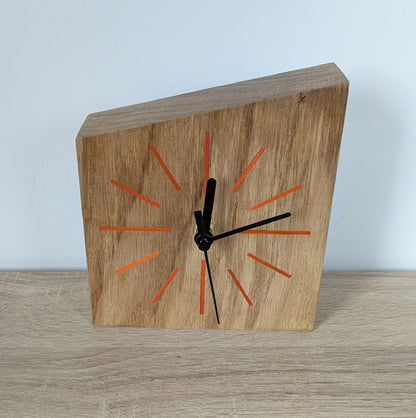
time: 12:13
